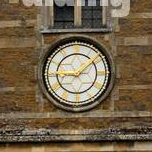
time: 9:08
